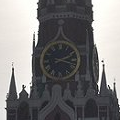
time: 2:17
